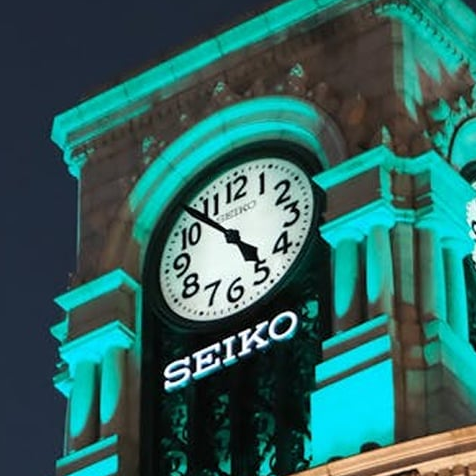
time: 4:53
